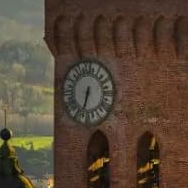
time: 6:32
